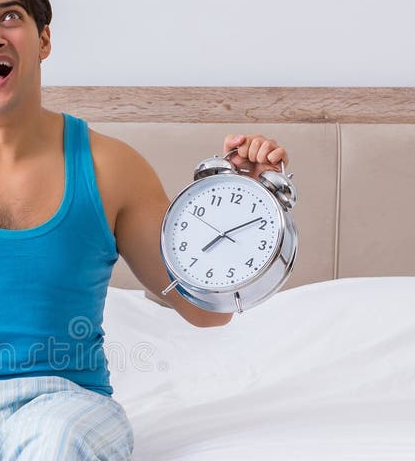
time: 7:08
